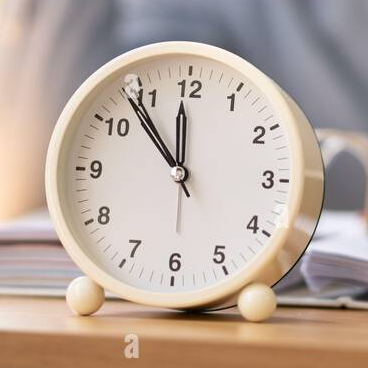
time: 11:53
